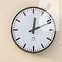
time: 12:11
